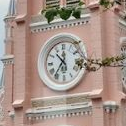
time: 10:36
